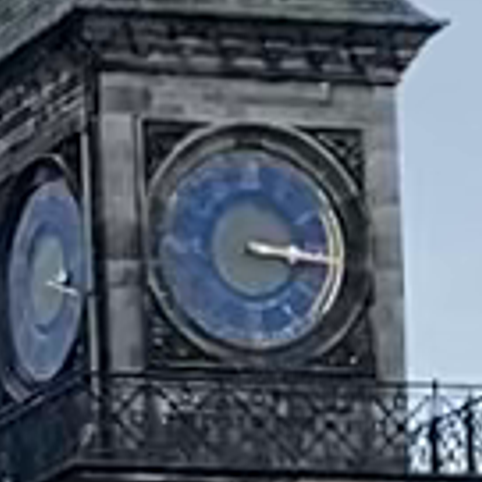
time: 3:16
